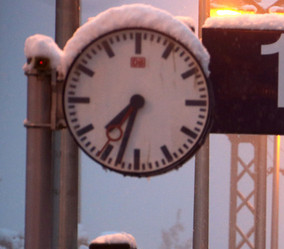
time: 7:32
